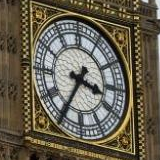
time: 3:35
